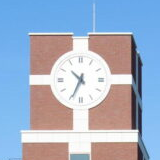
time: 10:34
